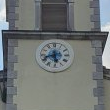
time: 5:41
